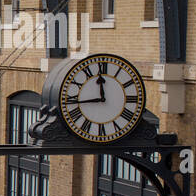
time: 11:43
